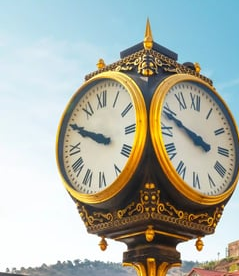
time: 9:49
